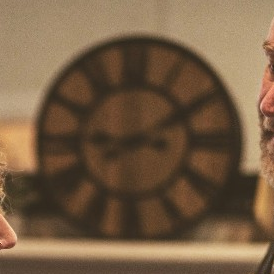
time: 9:10
